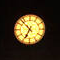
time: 6:52
